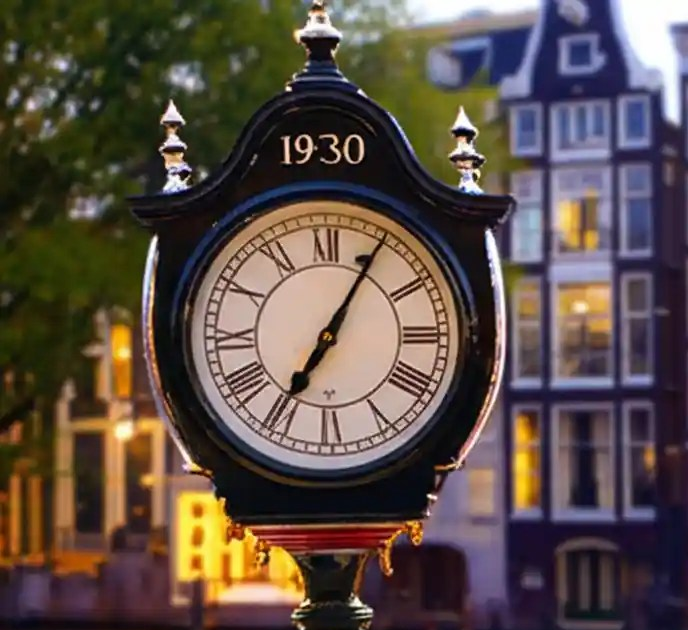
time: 7:05
